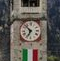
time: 6:52
